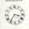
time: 3:35
